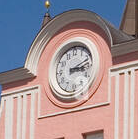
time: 3:11
